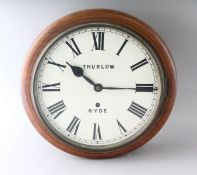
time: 10:14
